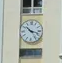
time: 10:17
